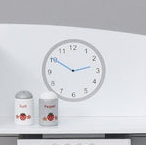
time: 2:50
